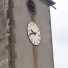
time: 9:42
